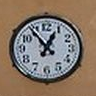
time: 12:53
